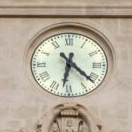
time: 6:22
